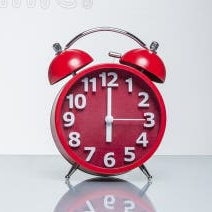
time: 6:00
